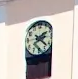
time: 2:21
